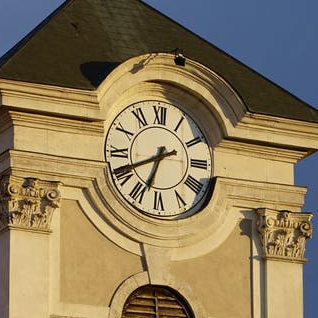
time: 6:41
